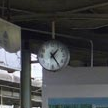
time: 1:24
